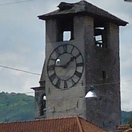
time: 1:46
